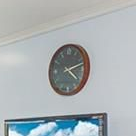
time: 4:12
